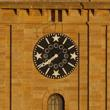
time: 7:39
